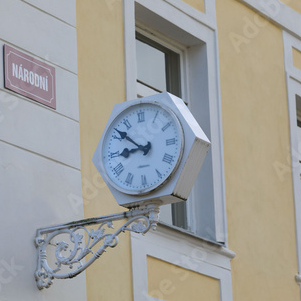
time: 8:51
